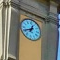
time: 12:40
